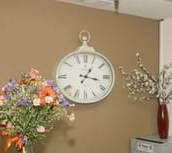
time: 1:16
